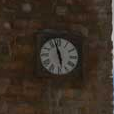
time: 5:57
